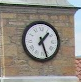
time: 1:26
